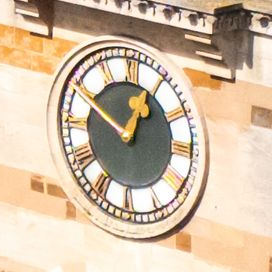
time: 12:49
